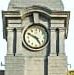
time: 4:49
